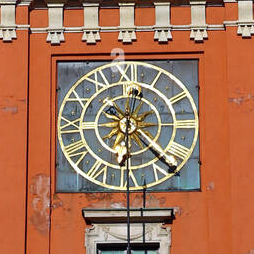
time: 6:22
